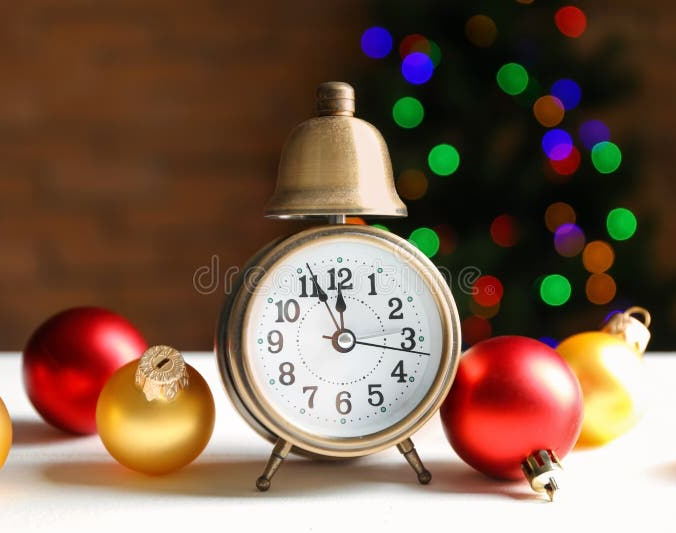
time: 11:55
